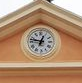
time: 12:47
